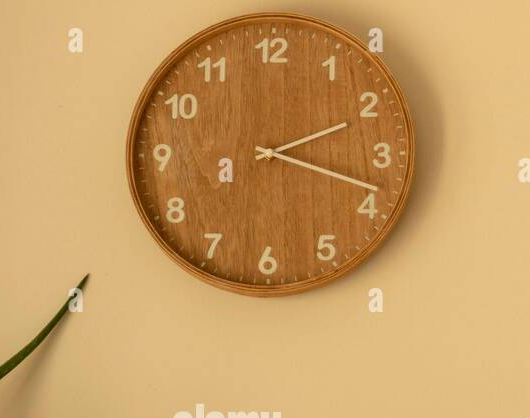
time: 2:18
